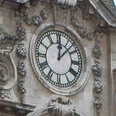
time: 12:07
